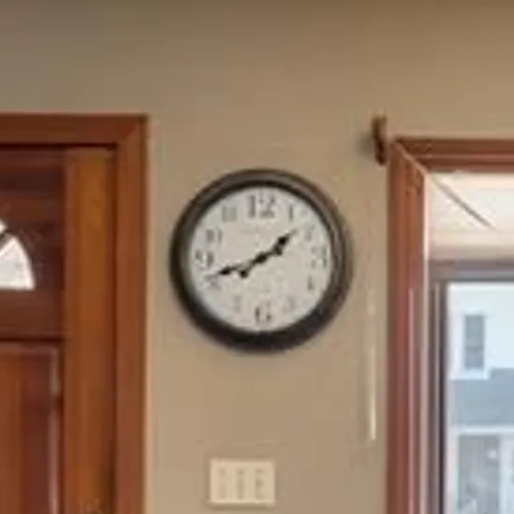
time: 1:41
